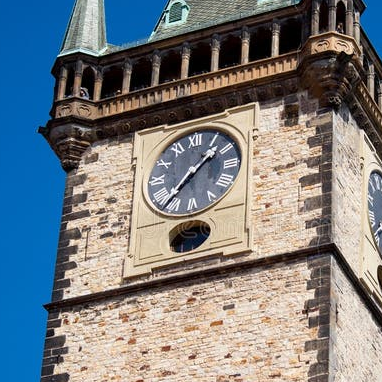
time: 1:37
